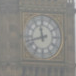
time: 11:42
